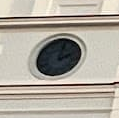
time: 2:01
